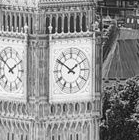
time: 1:50
